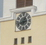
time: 12:42
